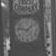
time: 1:46
